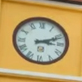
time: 3:11
